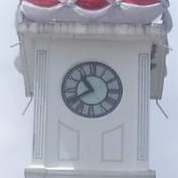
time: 10:39
